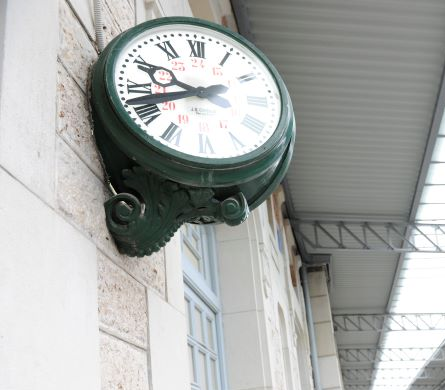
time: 9:42
